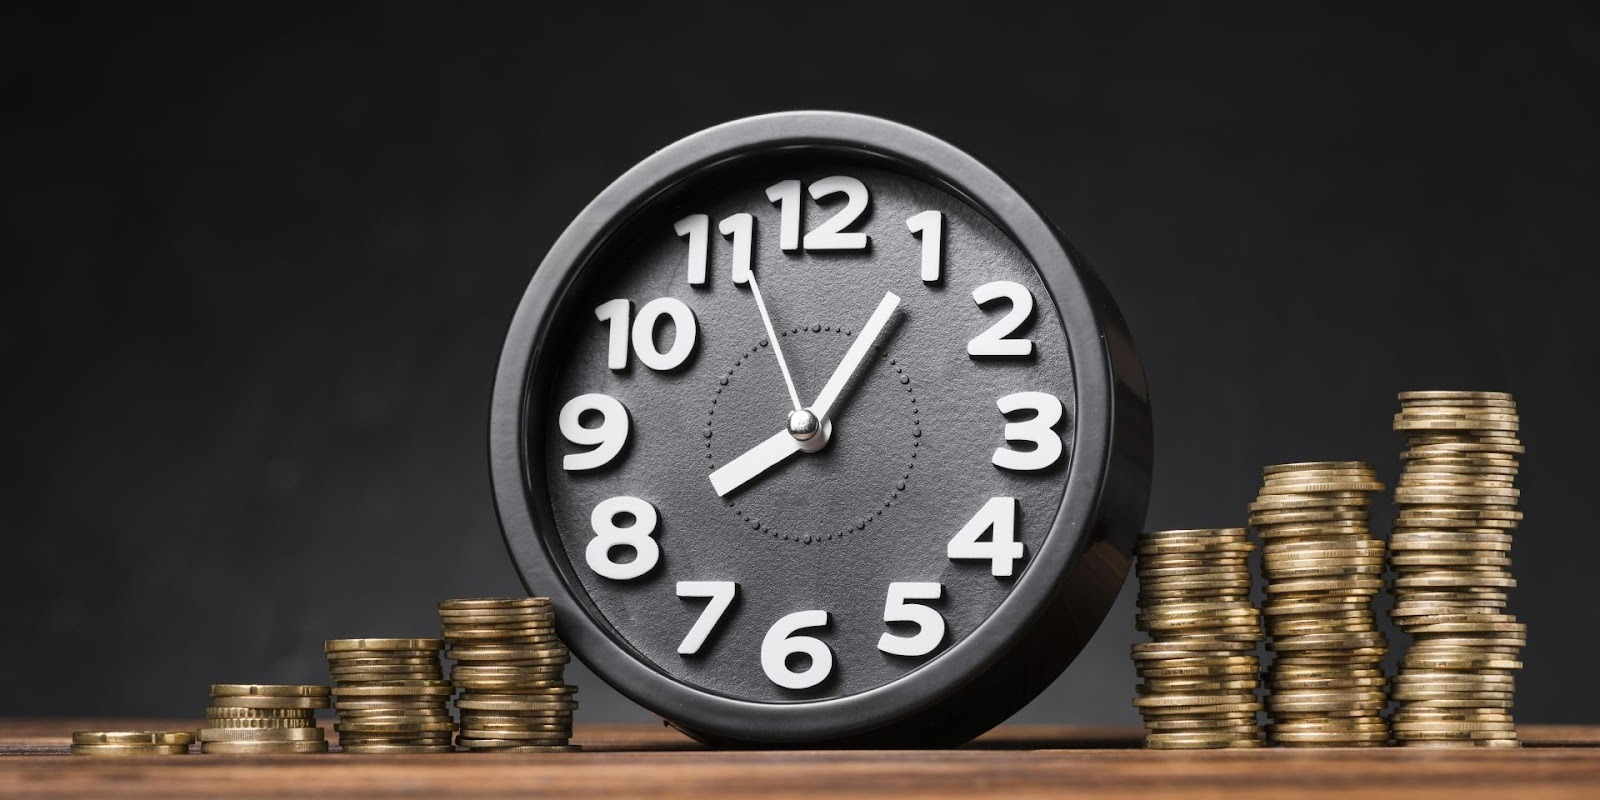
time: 8:05
